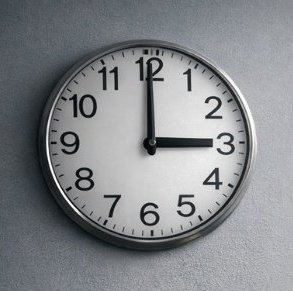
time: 2:59
